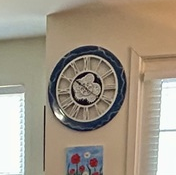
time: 10:20
